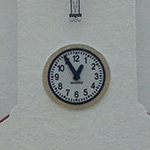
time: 12:55
